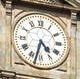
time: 4:32
